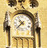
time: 10:37
